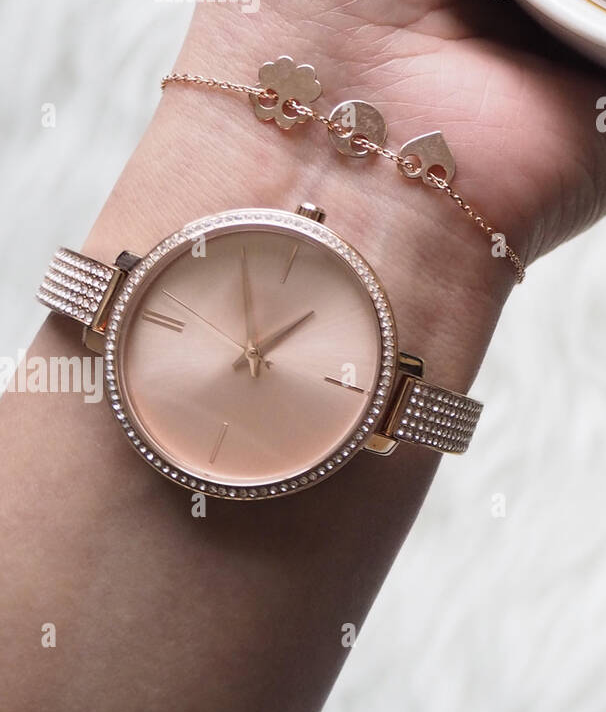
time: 1:59
